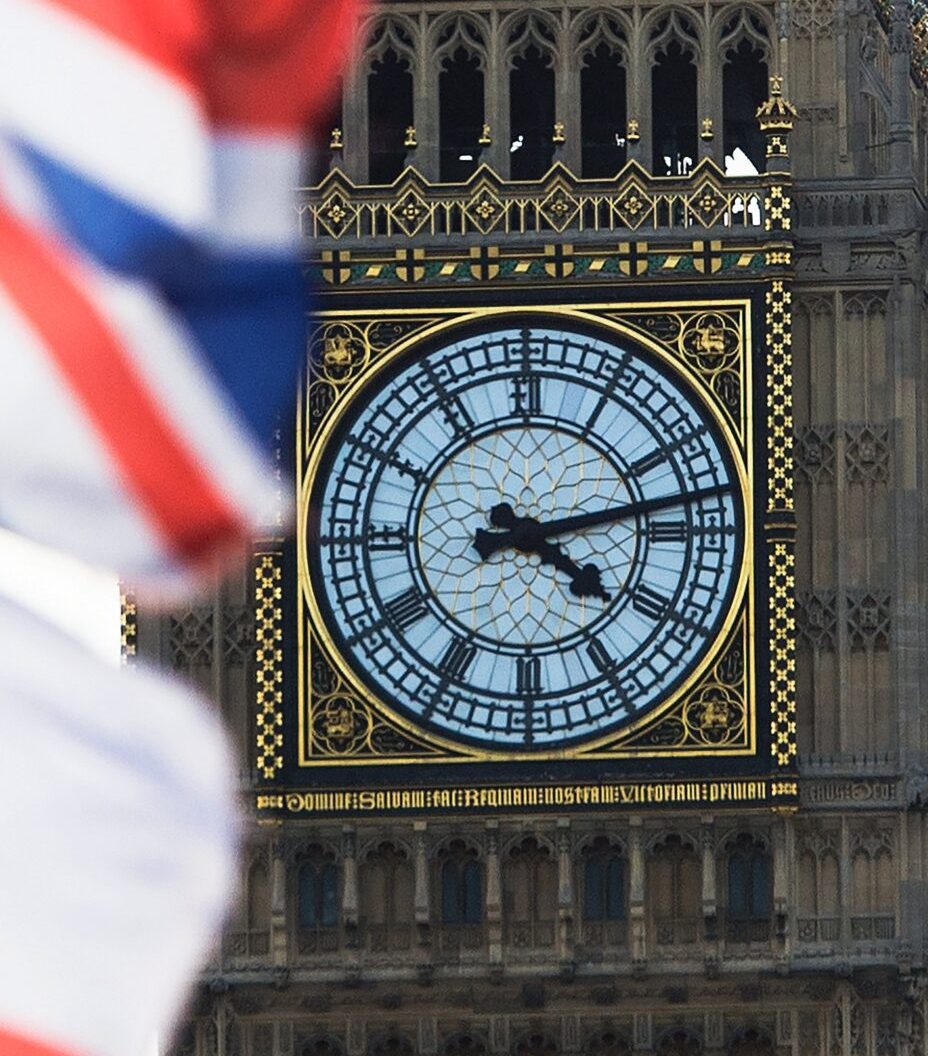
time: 4:12
